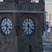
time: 6:21
